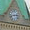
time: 2:42
